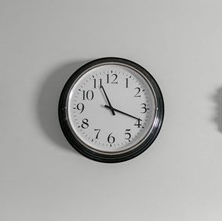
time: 11:18
